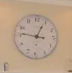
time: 12:46
